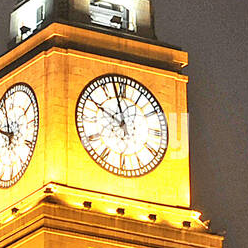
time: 9:57
